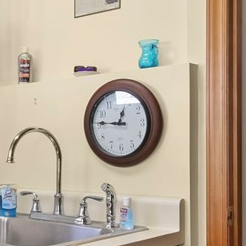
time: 12:45
